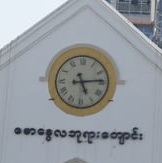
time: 5:14
